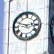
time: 2:48
